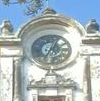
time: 7:03
